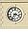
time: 3:34
